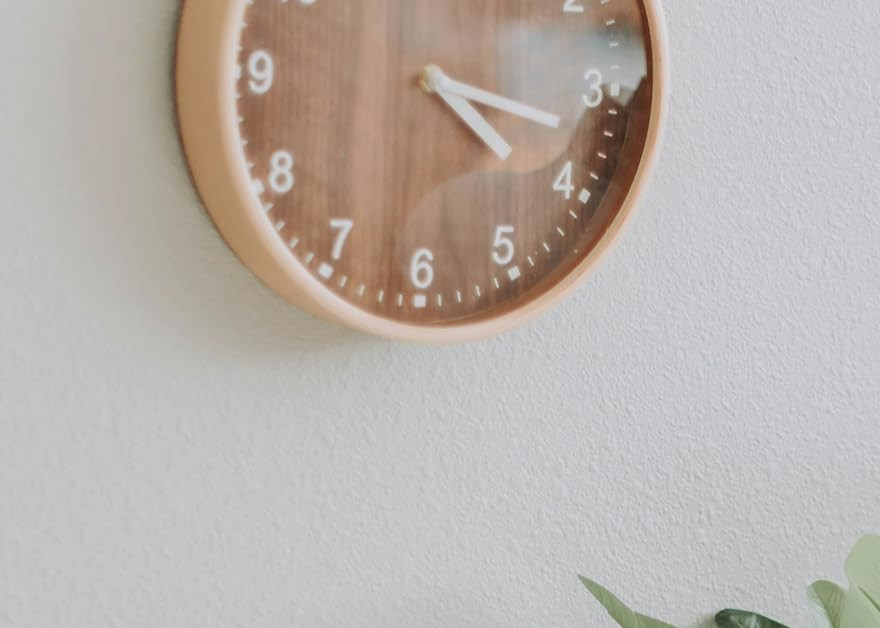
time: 4:17
